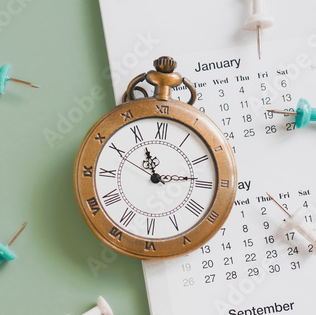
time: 11:13
